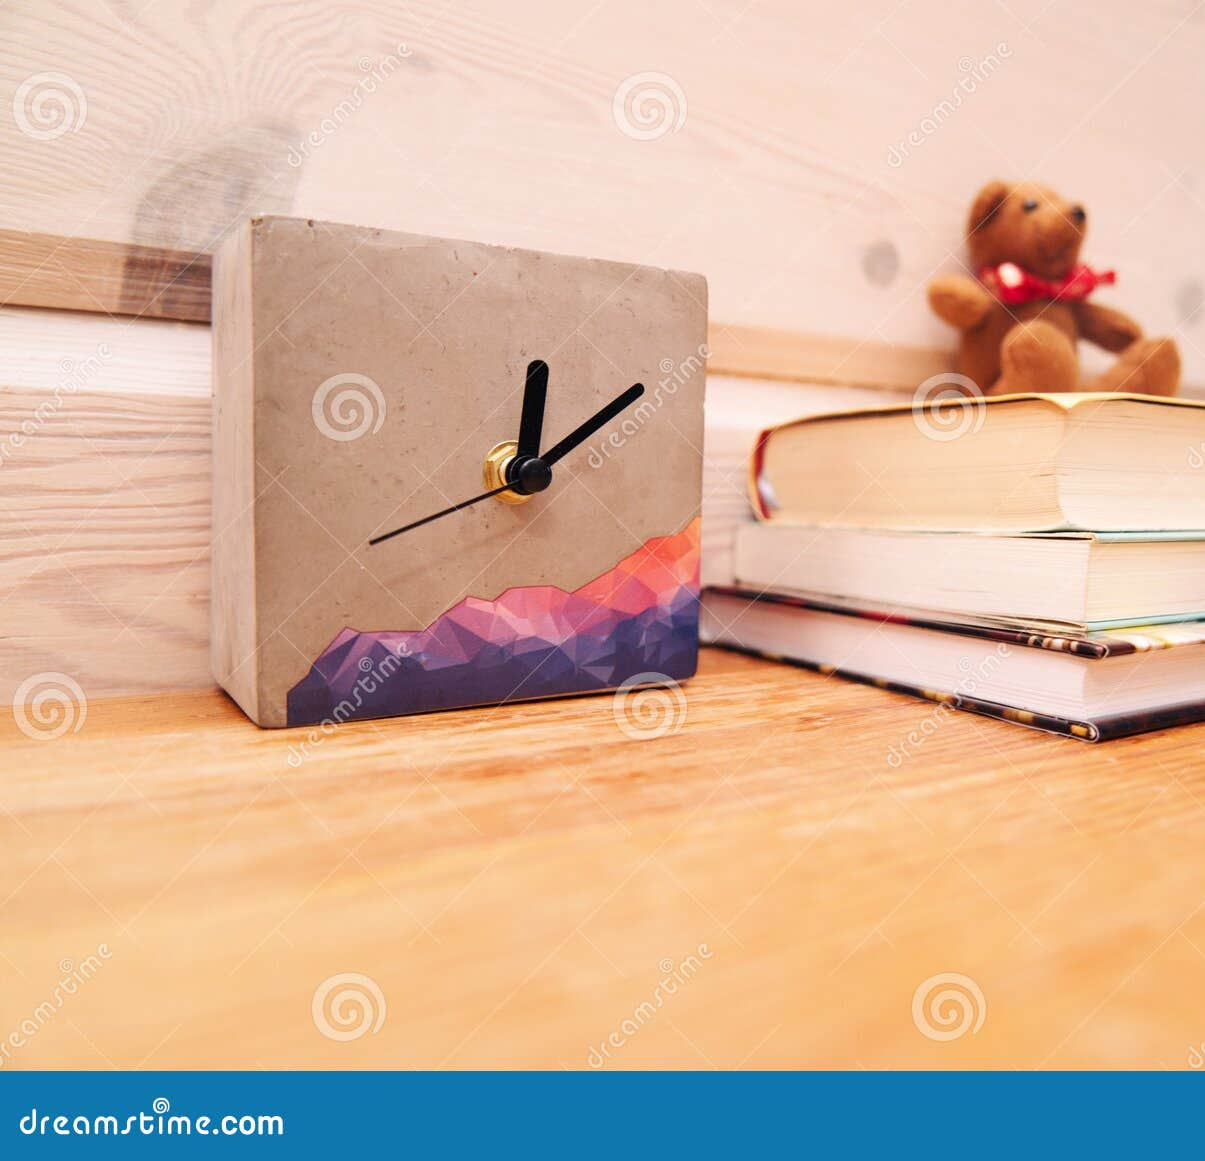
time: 12:09
